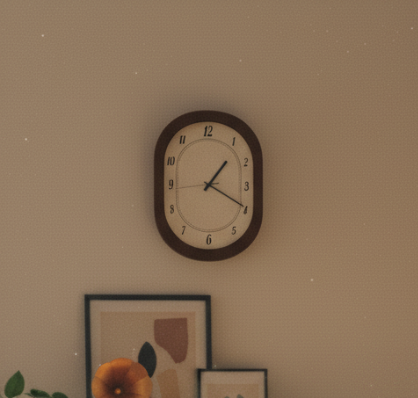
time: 1:19
